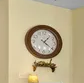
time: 1:21
